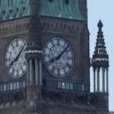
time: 8:07
